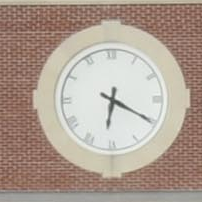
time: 6:19
